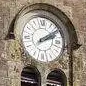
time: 2:09
